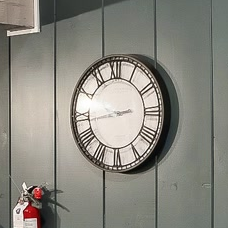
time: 2:43
